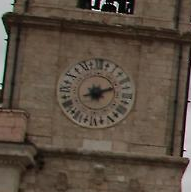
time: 8:11
